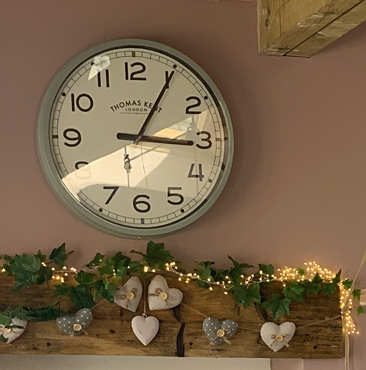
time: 3:05
